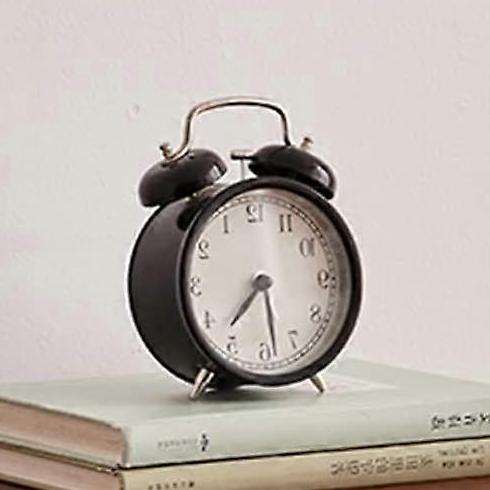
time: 7:28
